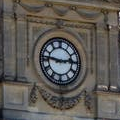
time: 2:46
